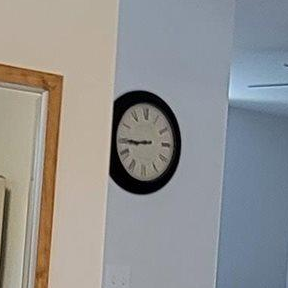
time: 8:44
